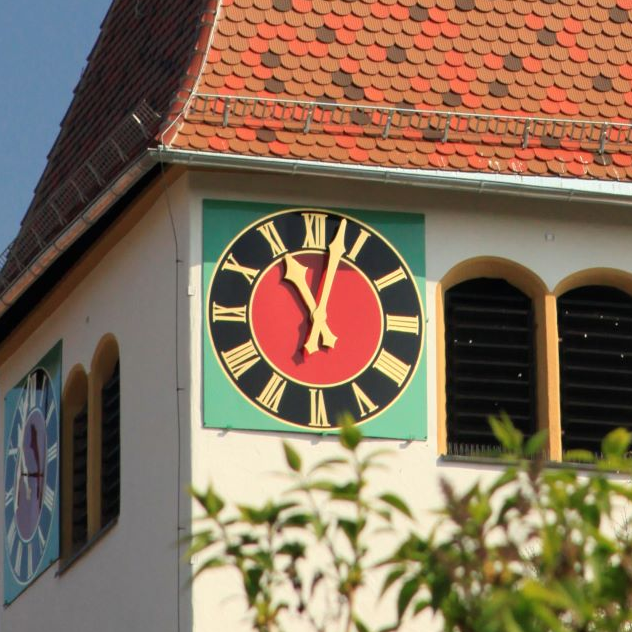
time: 11:02
